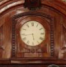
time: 5:43
